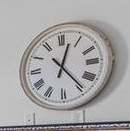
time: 12:23
